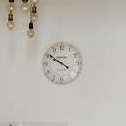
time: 9:50
